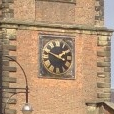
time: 1:47
